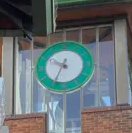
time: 9:34
